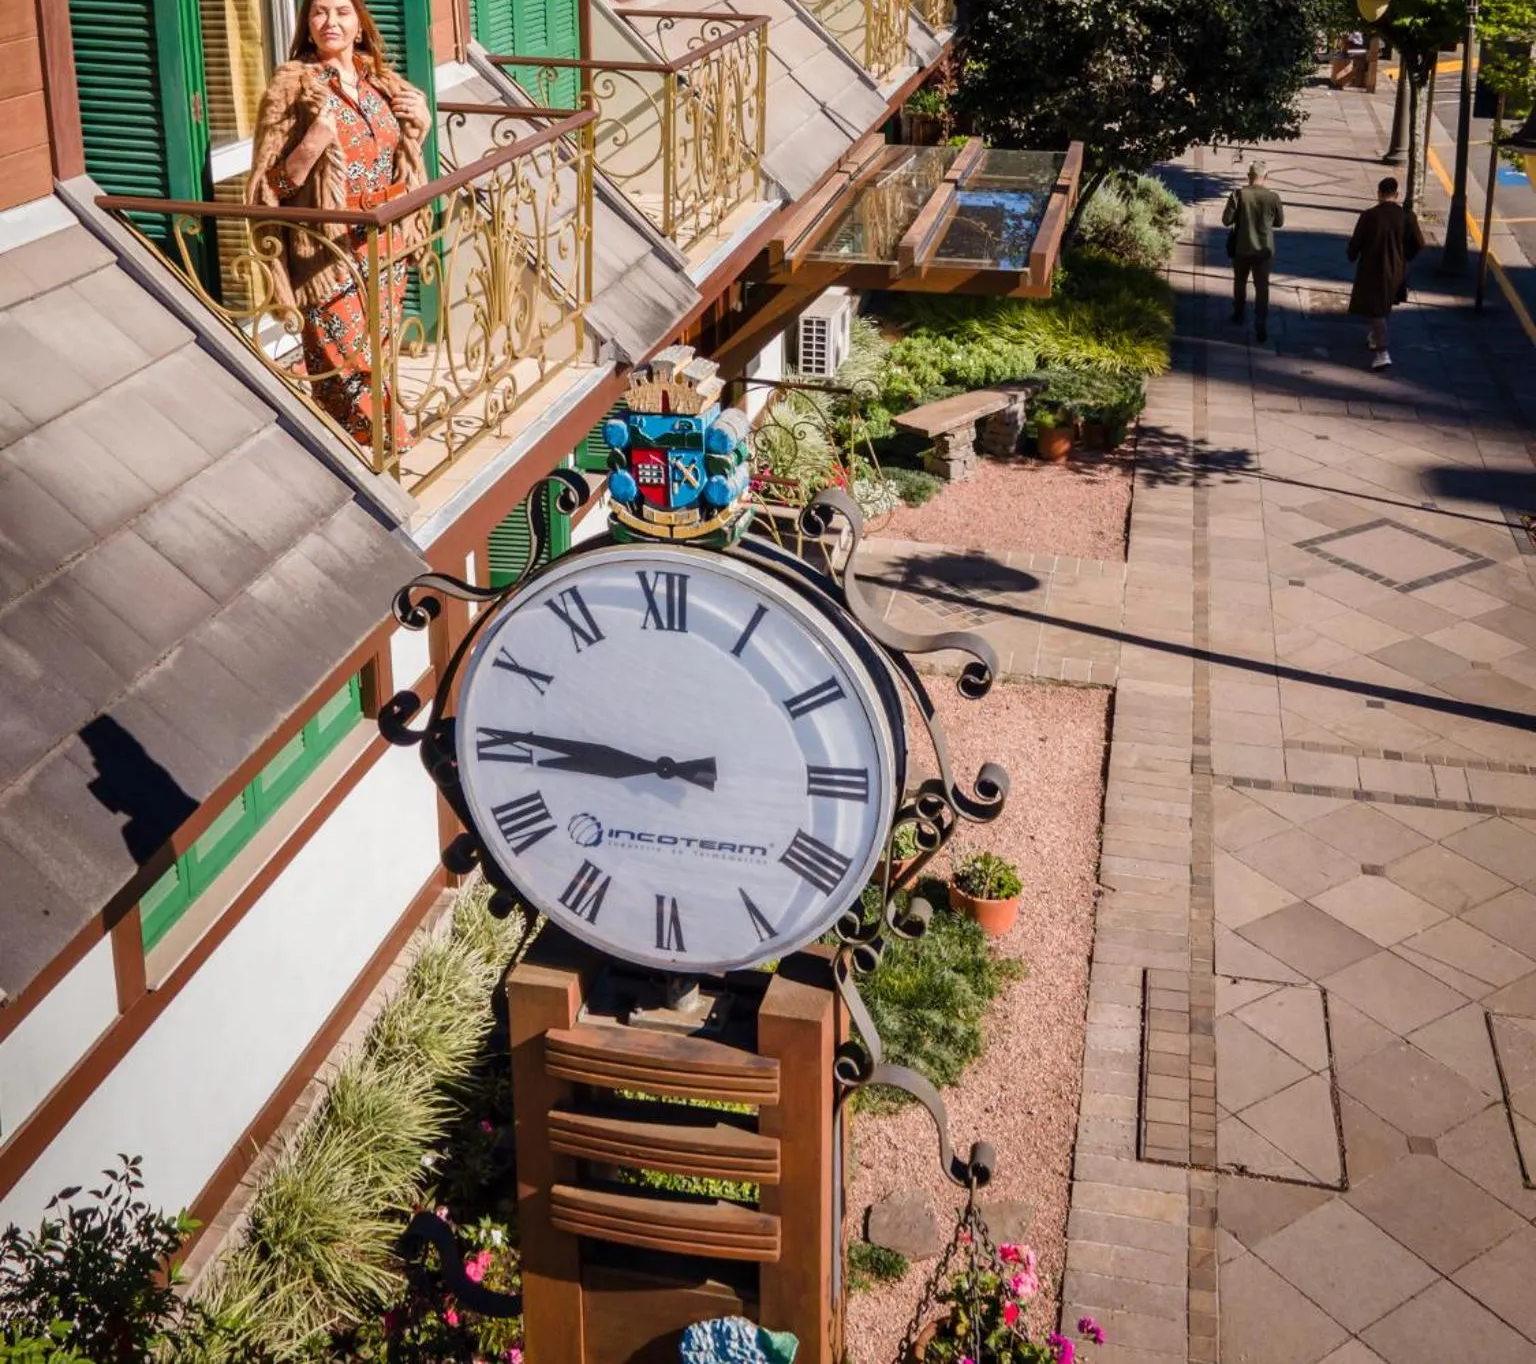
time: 8:45
